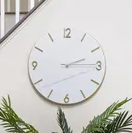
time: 2:14
